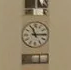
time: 11:14
